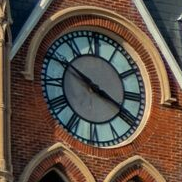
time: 3:50
